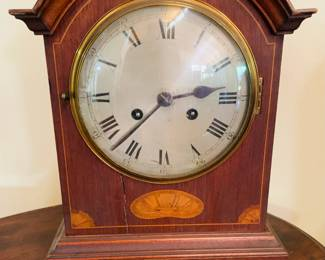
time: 2:37
